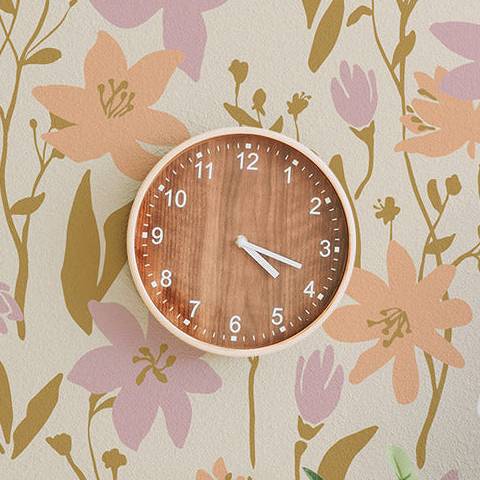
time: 4:18
